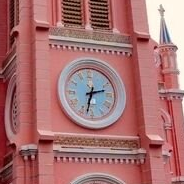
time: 2:32
